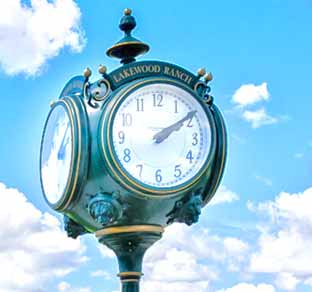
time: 2:09
